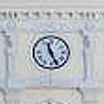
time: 11:25
